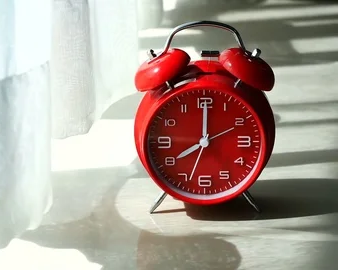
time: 8:00
